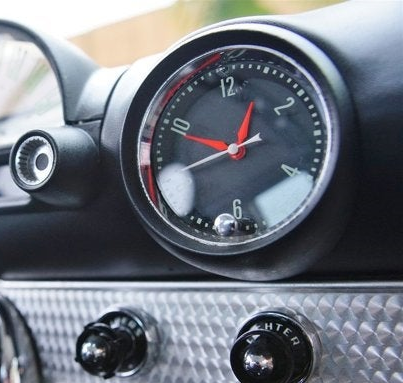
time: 12:49
